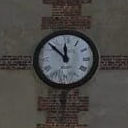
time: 11:52
